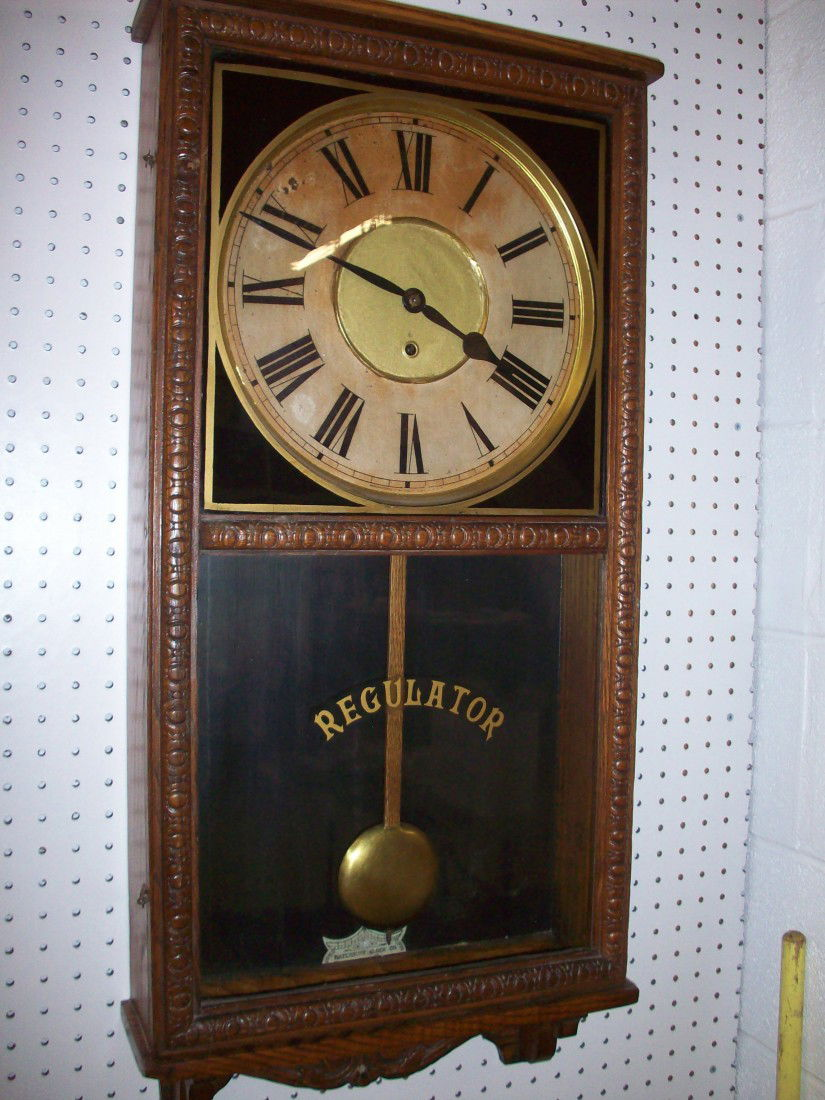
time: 3:48
